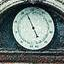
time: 4:56
